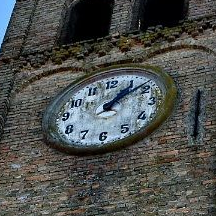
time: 1:08
